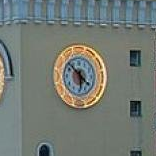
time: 5:51
